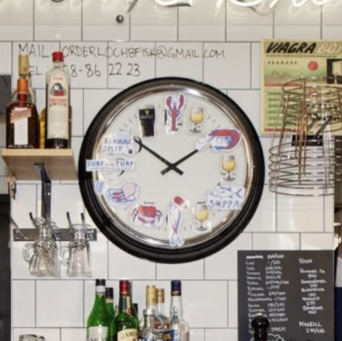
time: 1:51
